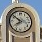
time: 7:51
